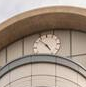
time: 4:52
